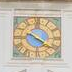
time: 4:20
